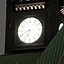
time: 6:40
